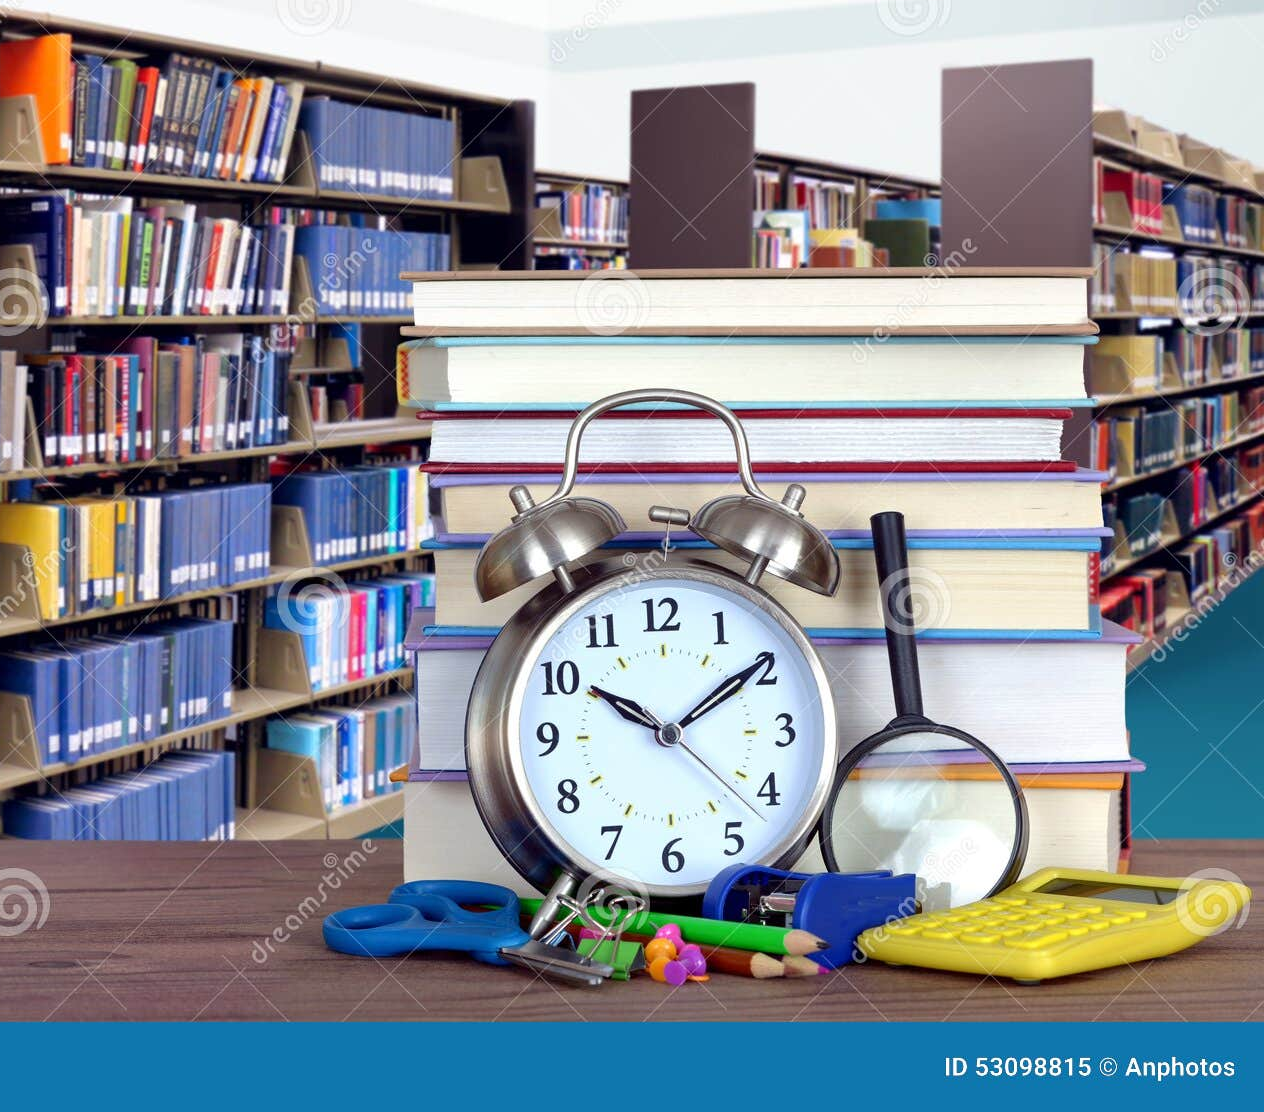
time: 10:09
